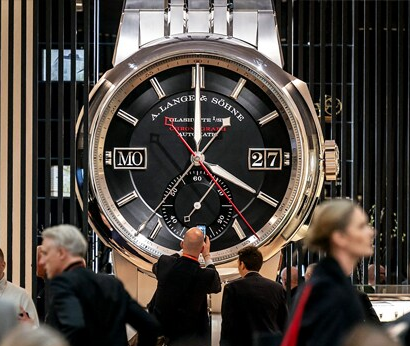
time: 4:00
